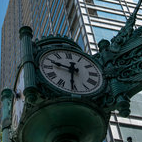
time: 9:31
